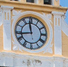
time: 11:43
